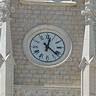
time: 12:21
